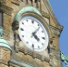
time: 4:06
